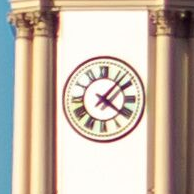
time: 4:07
